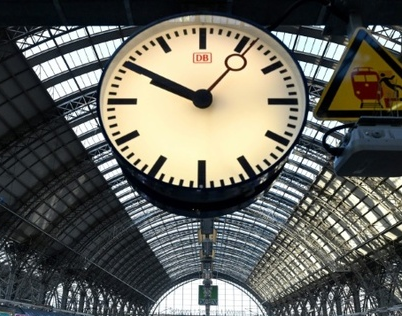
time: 9:50
